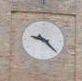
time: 9:22
